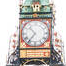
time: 10:36
